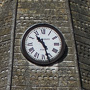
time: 10:26
